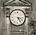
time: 3:24
